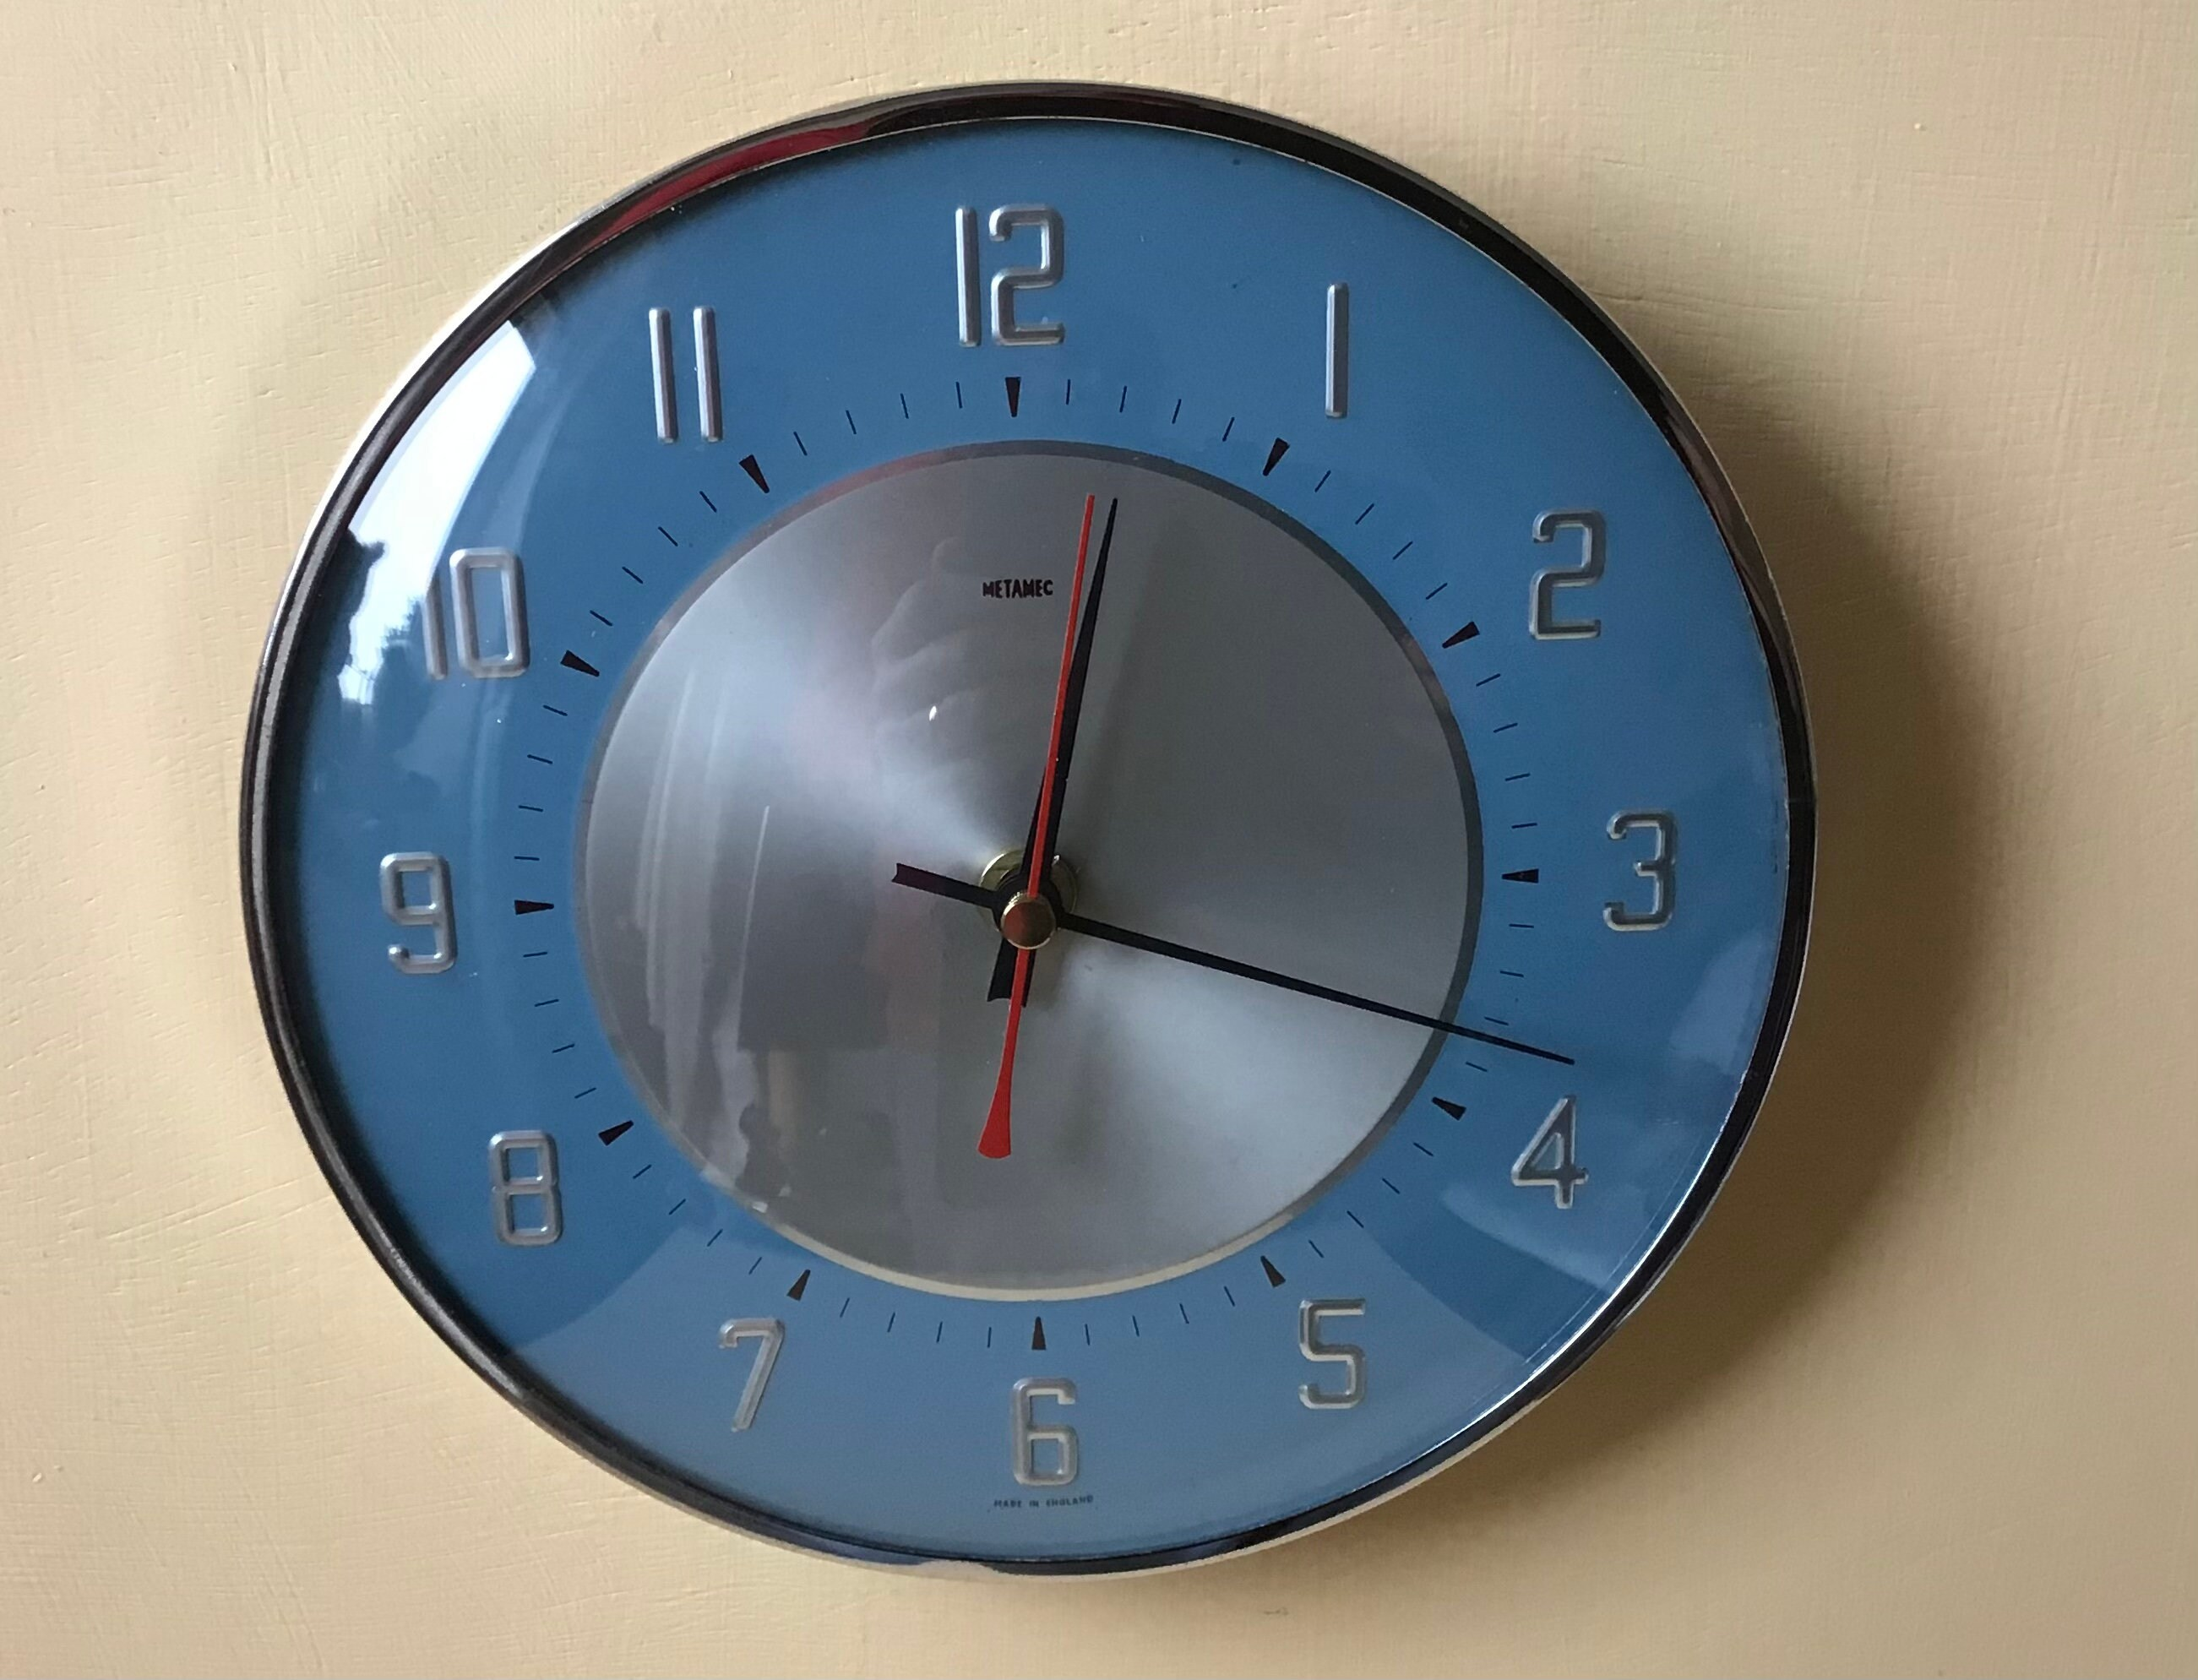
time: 12:18
